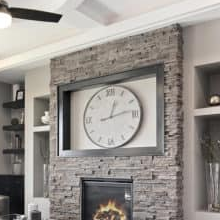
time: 12:13
